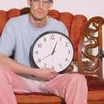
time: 12:39
